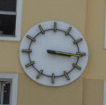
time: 3:15
